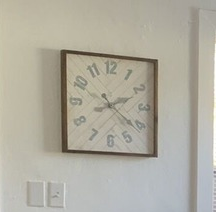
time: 2:21
